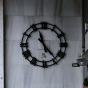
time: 11:23
